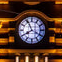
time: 7:55
